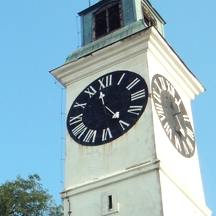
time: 11:24
